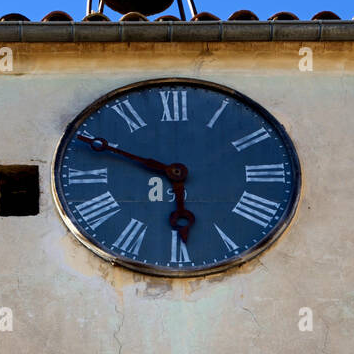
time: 5:49
